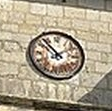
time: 1:53
